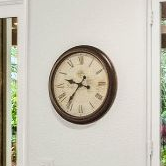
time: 9:36
